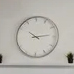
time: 10:13
